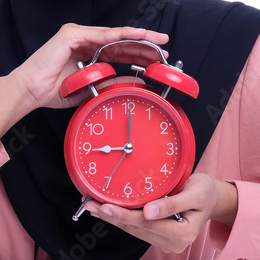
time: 9:00
